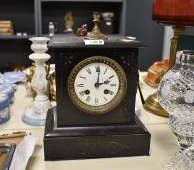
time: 2:01
